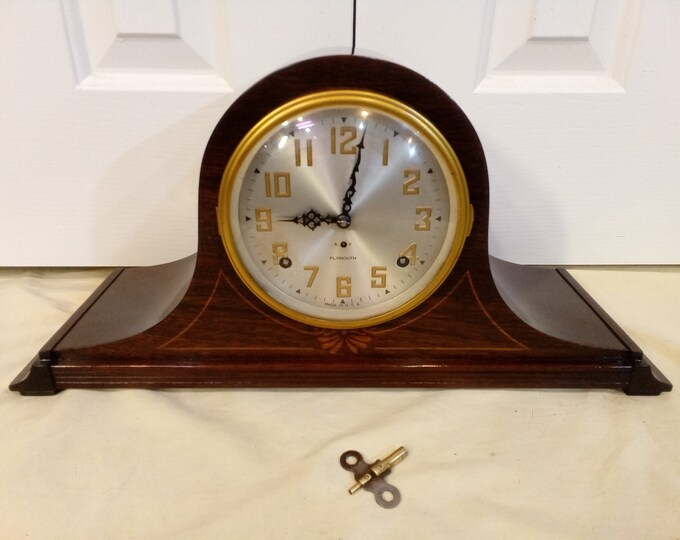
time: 9:01
